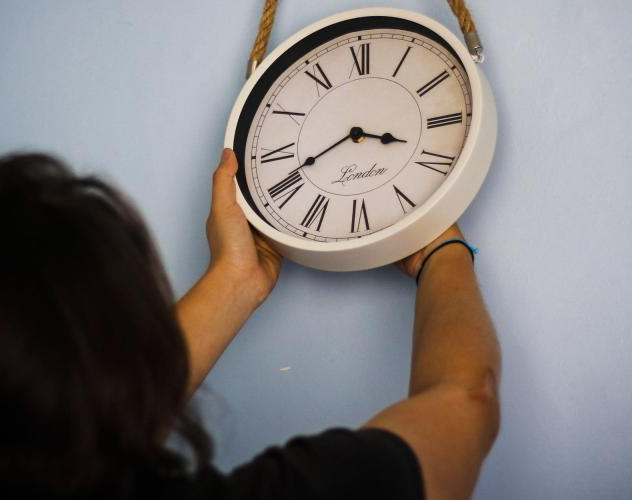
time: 3:40
